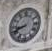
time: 8:41
